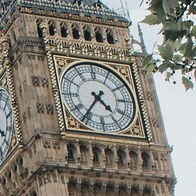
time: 4:36
